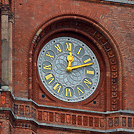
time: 12:11
